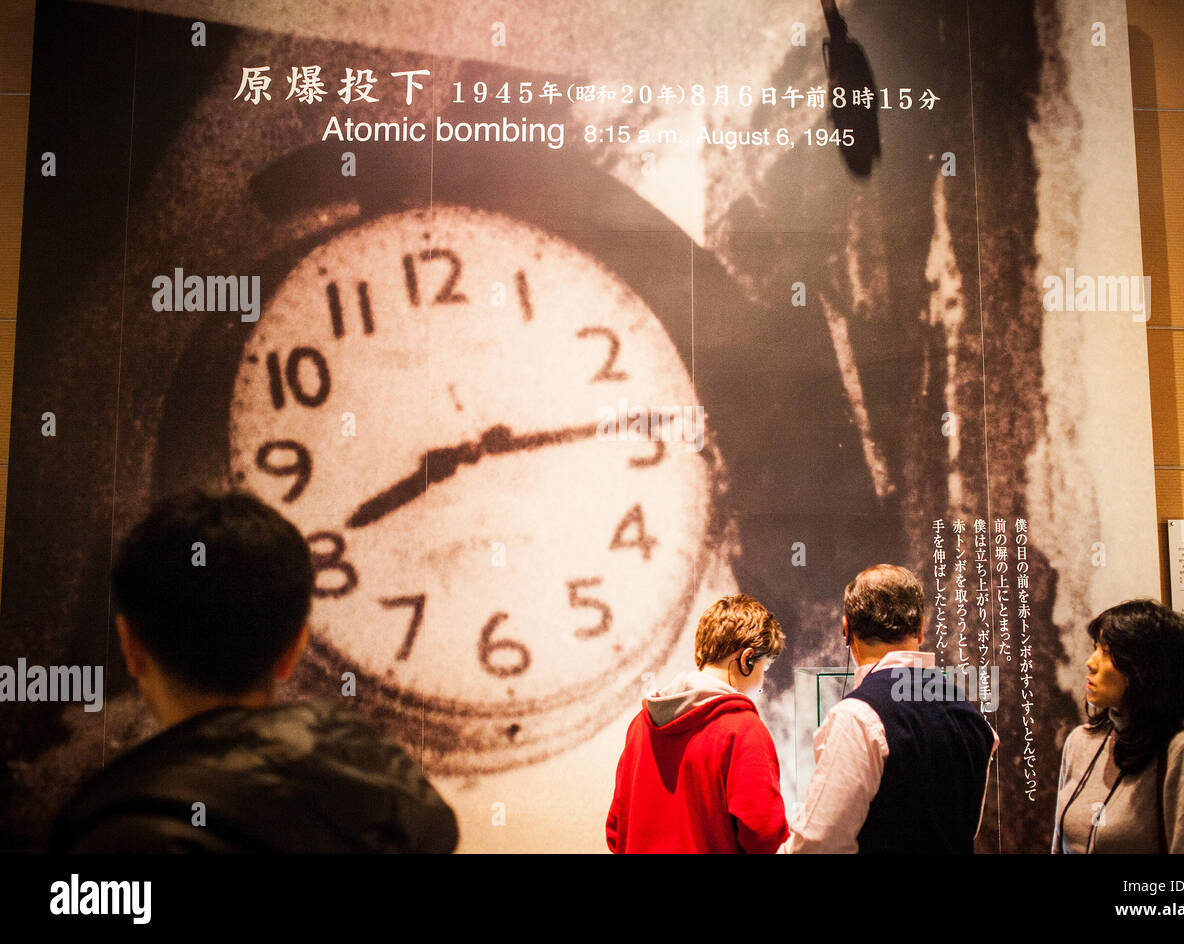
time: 8:14
